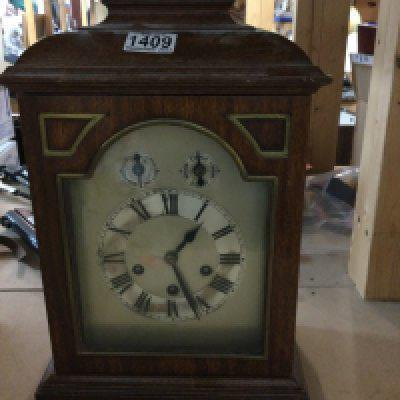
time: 1:26
